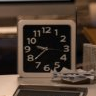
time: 9:38
